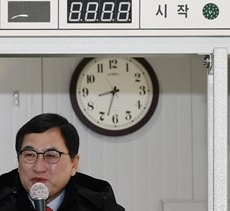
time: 8:32
